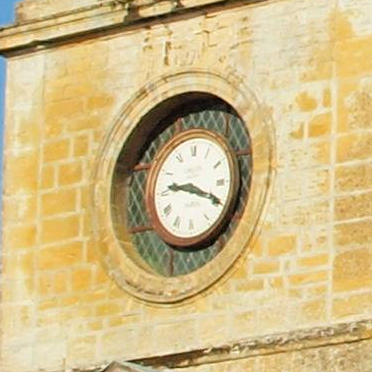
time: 9:19
